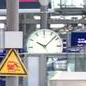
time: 10:07
